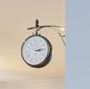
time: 3:13
